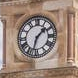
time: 1:32
